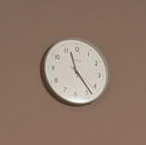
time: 11:22
